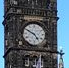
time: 4:49
